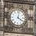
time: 4:02
